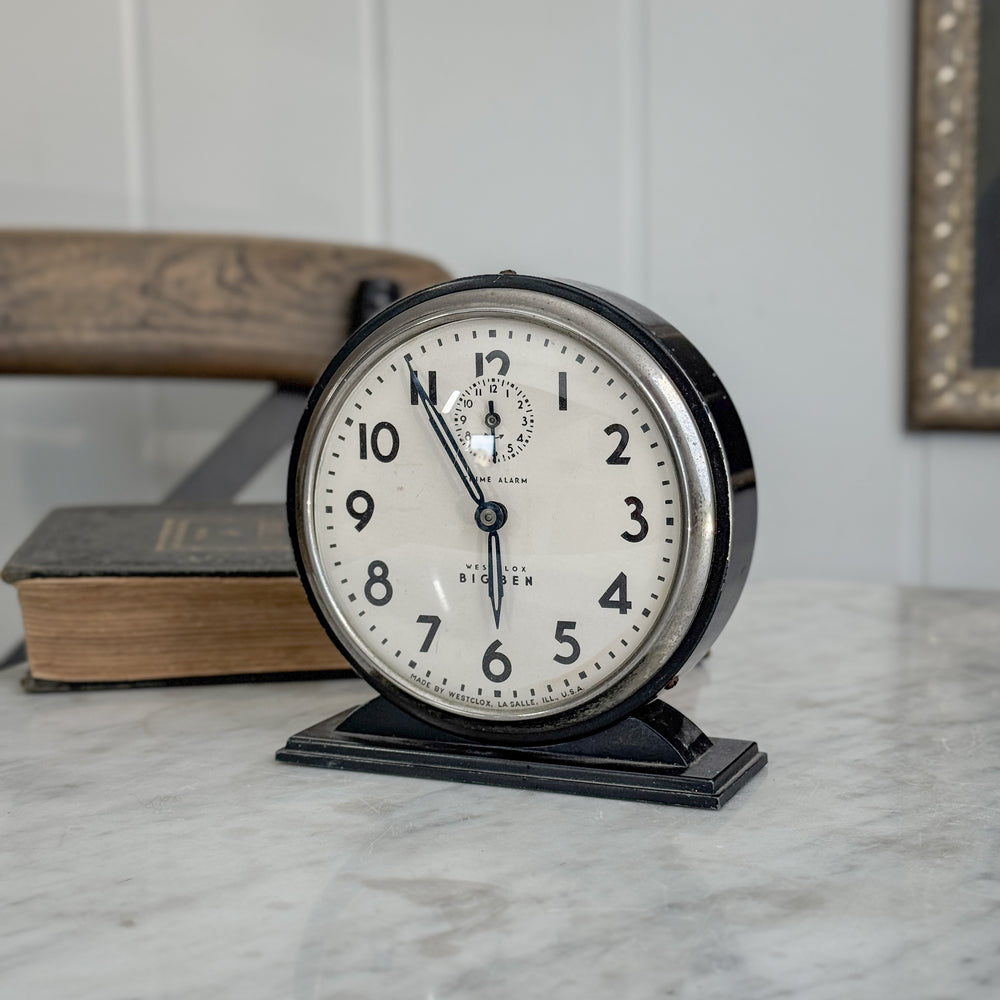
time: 5:54
